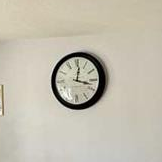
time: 12:17
